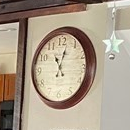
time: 11:02
